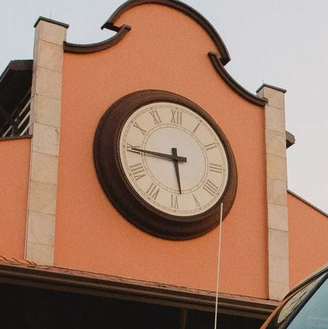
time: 5:44
